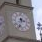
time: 3:33
